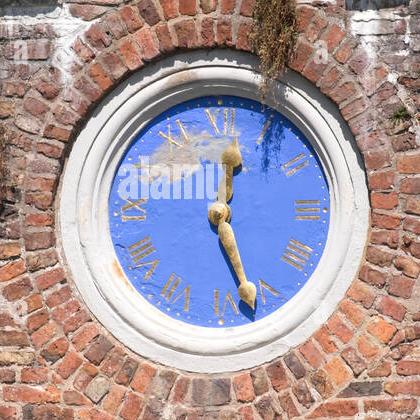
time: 12:26
